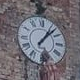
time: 1:07
